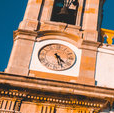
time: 4:26
